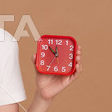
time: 11:52
